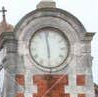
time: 5:59
